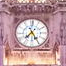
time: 7:25
